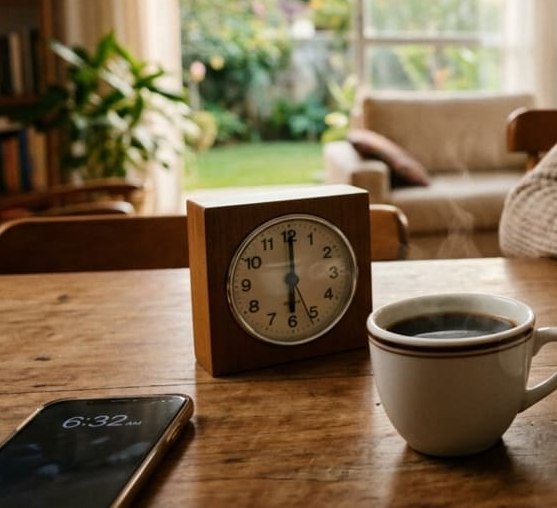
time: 6:00
